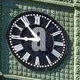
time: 8:53
